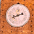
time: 8:11
